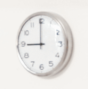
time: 8:59
